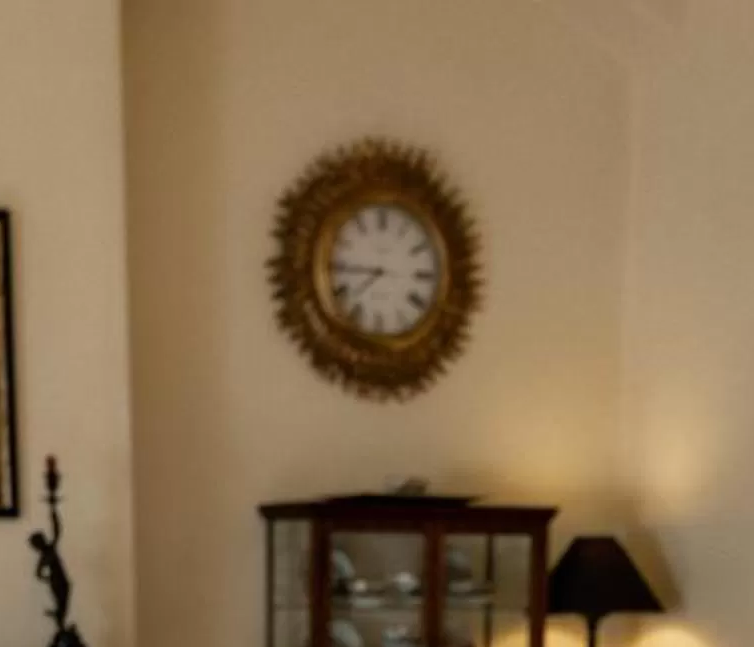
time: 7:44
